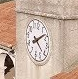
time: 4:08
